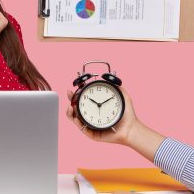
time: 10:10
